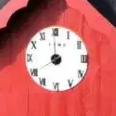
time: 7:59
